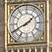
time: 1:41
